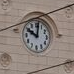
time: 10:01
